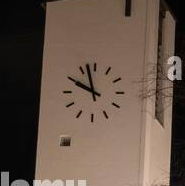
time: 9:57
